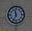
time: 11:33
